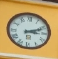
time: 3:11
